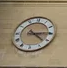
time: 4:14
